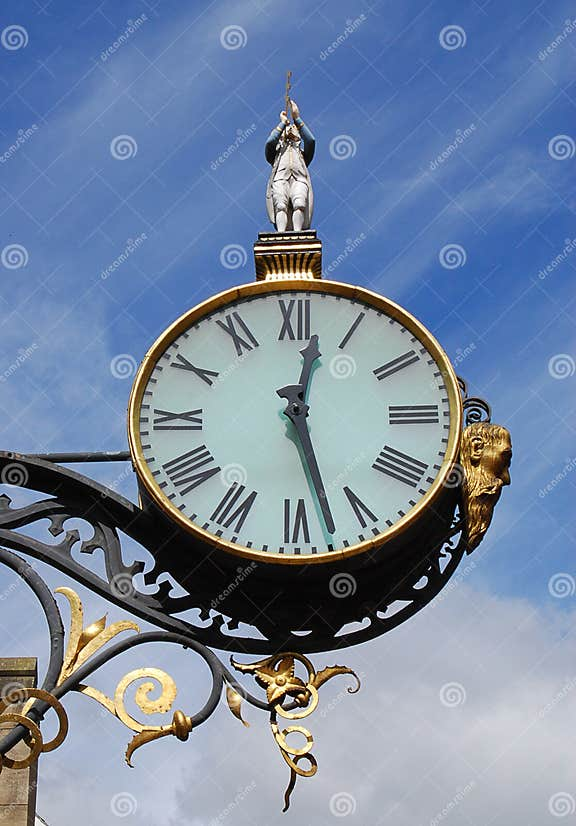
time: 12:27
